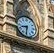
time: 8:31
